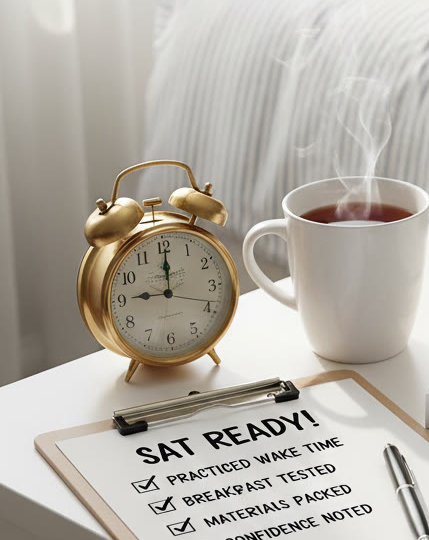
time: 9:00
